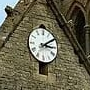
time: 3:09
